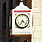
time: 4:34
